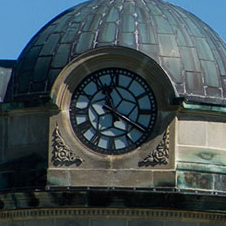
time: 11:20
